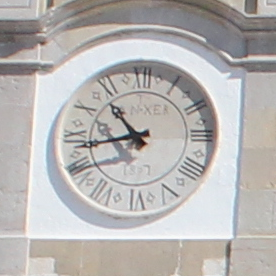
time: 10:42
